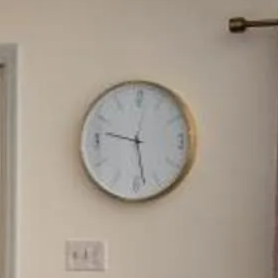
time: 9:28
